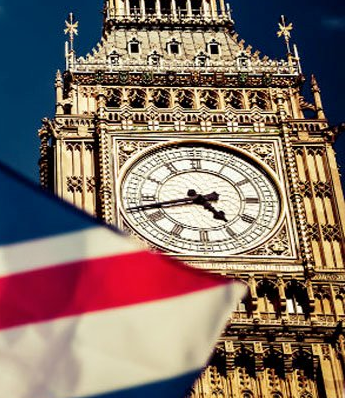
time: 4:42
